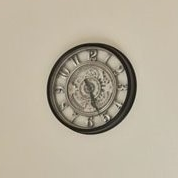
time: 5:26
